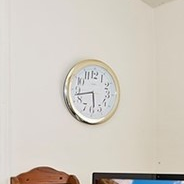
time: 5:42
